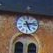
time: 5:12
